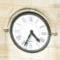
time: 4:34
